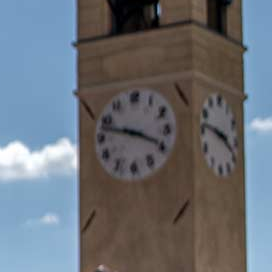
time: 3:47
